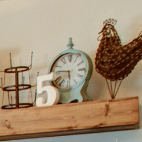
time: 5:45
